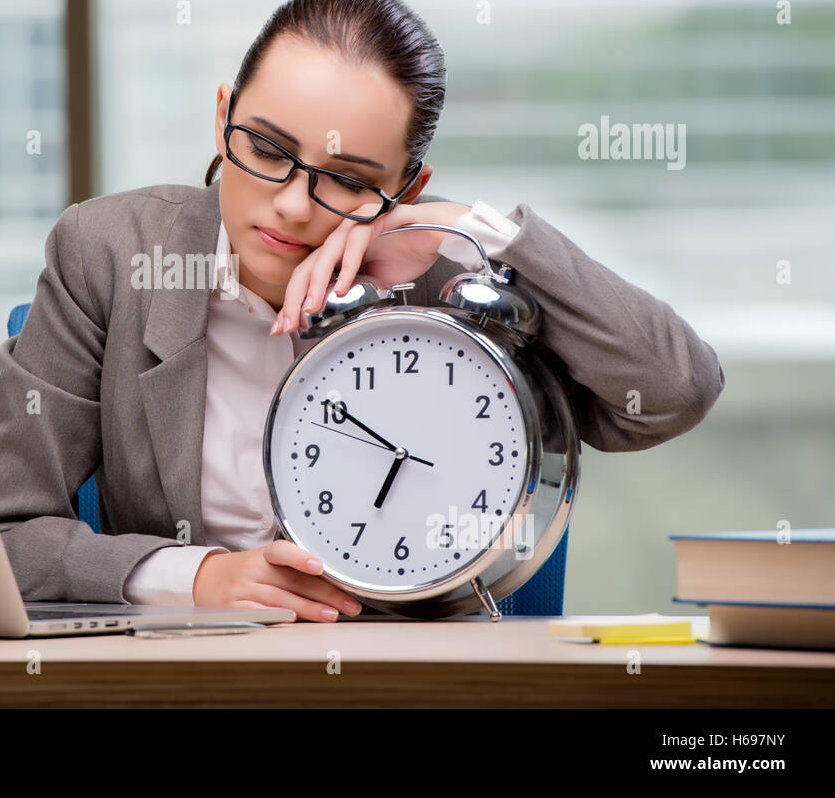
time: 6:50
